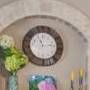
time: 11:13
